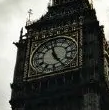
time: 4:57
